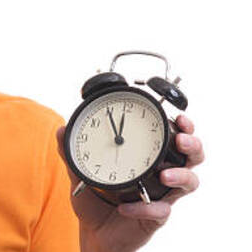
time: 11:55
